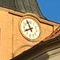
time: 7:55
